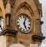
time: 5:03
